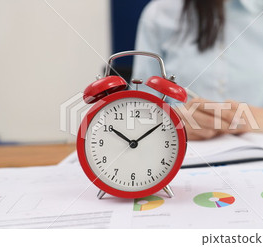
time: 10:08
